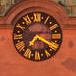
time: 7:18
